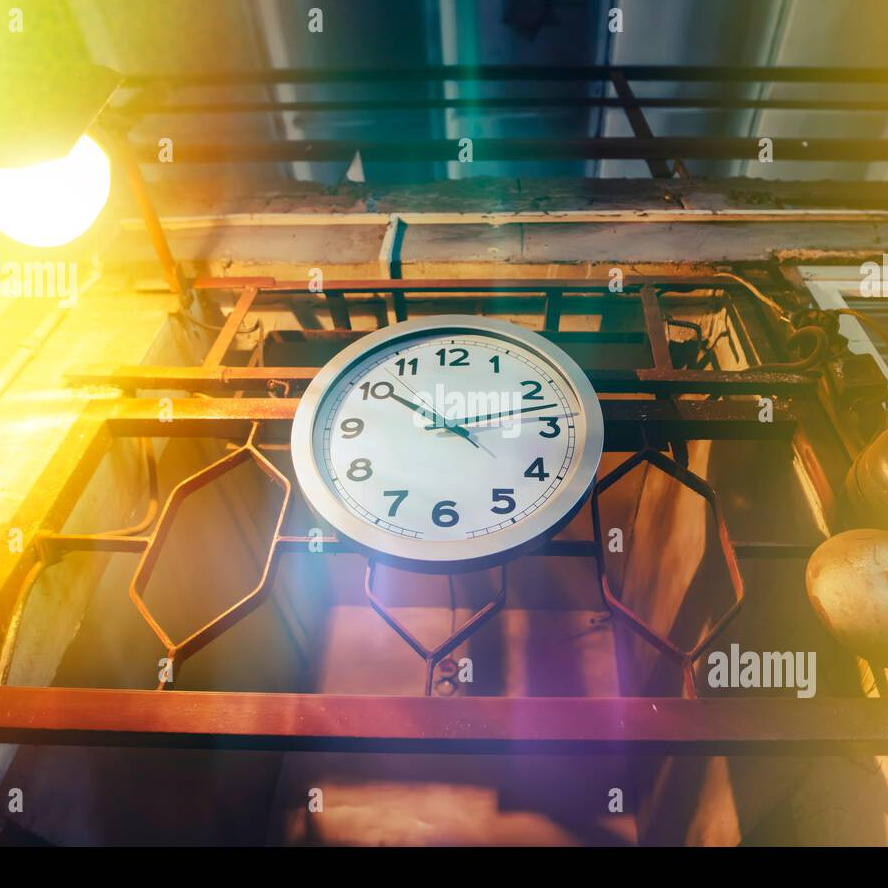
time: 10:12
